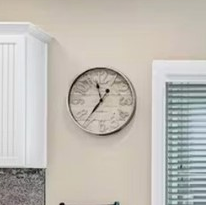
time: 11:36
